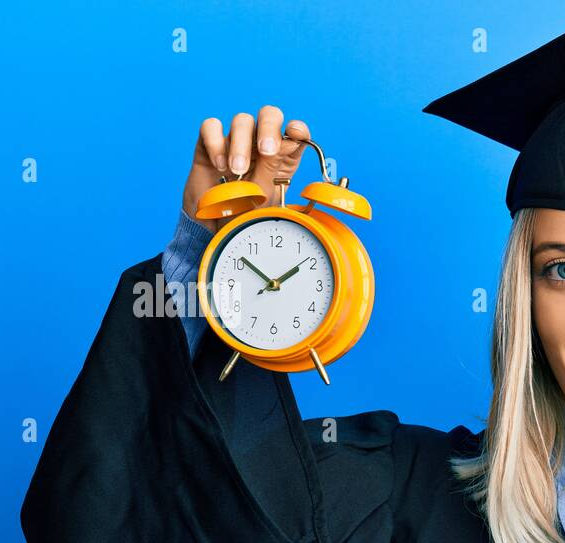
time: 1:51
